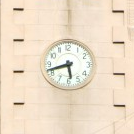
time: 5:42
